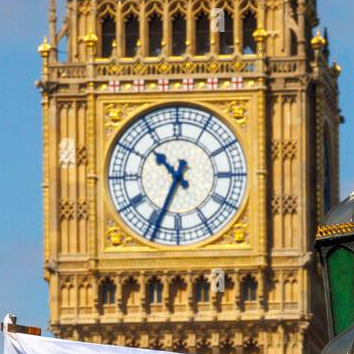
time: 10:34
